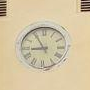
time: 8:54
